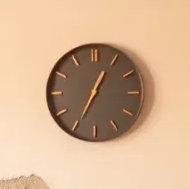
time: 12:34
